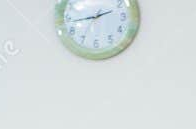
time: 1:43
